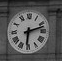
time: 6:12
